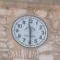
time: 11:29
